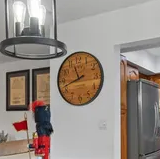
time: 11:42
